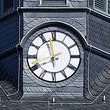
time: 7:57
